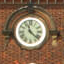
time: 11:21
